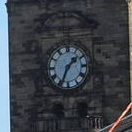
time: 1:34
